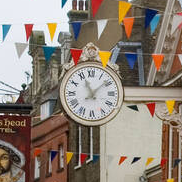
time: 11:08
